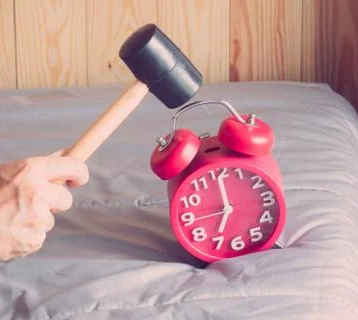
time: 7:00
